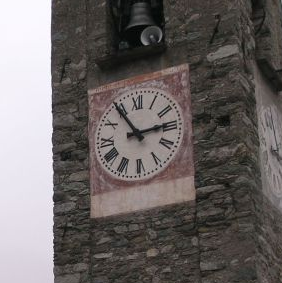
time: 2:54
